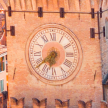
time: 6:38
